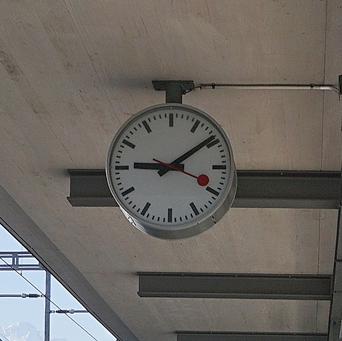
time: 9:09
